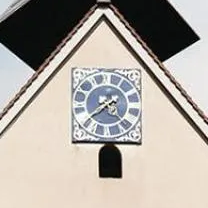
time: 7:38
